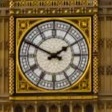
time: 1:49
